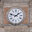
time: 1:47
